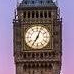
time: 7:03
